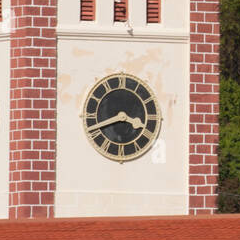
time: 3:41
